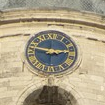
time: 2:46
